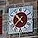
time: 10:37
